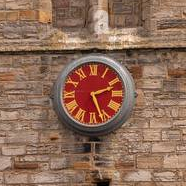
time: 2:26
